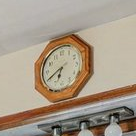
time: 6:40
